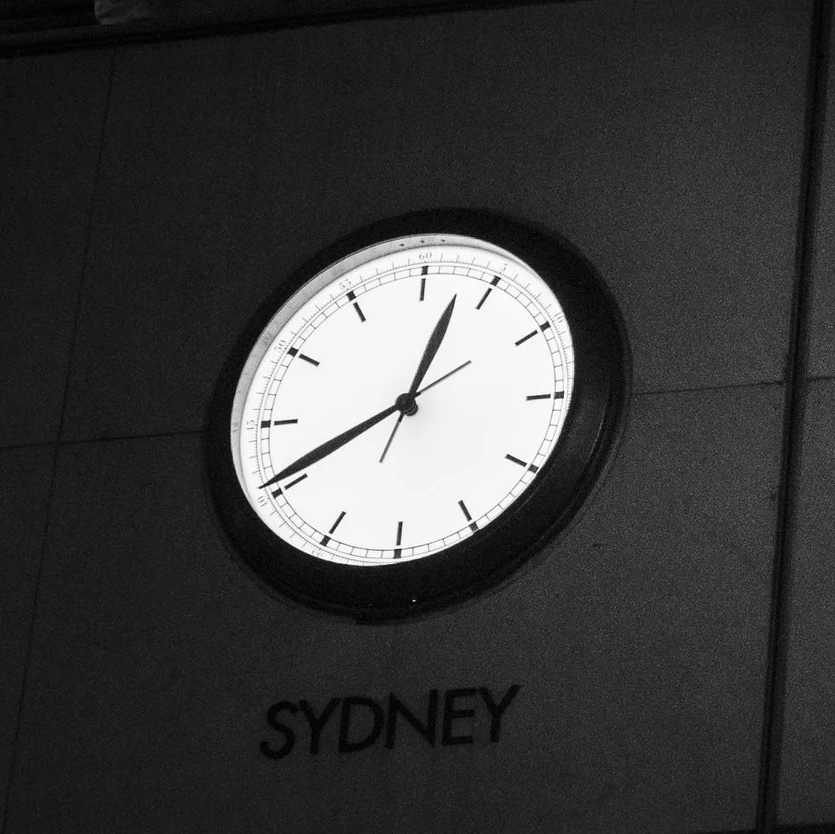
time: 12:40
